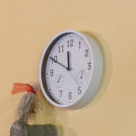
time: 11:49
